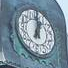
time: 1:01
